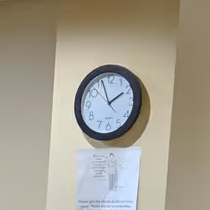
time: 1:56
